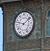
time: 1:47
